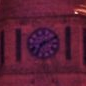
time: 7:11
